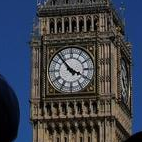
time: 3:53
